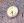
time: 7:27
